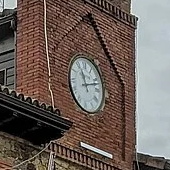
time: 11:12
